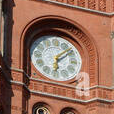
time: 6:08
